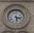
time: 3:28
